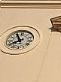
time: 7:55
